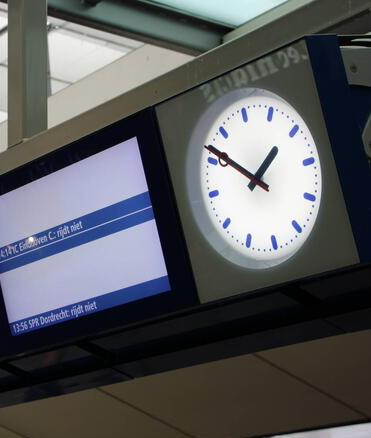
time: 1:51
